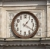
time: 1:20
